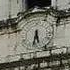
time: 5:31
